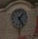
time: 1:24
